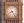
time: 8:24
